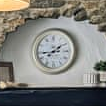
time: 1:43
